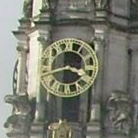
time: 3:40
